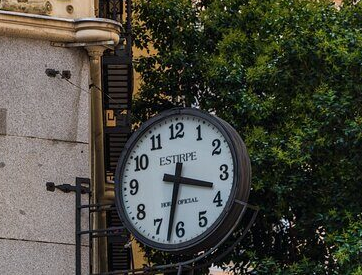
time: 3:32
